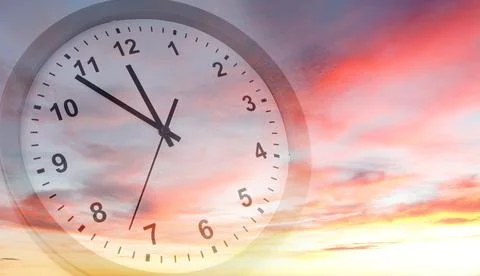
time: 11:53
